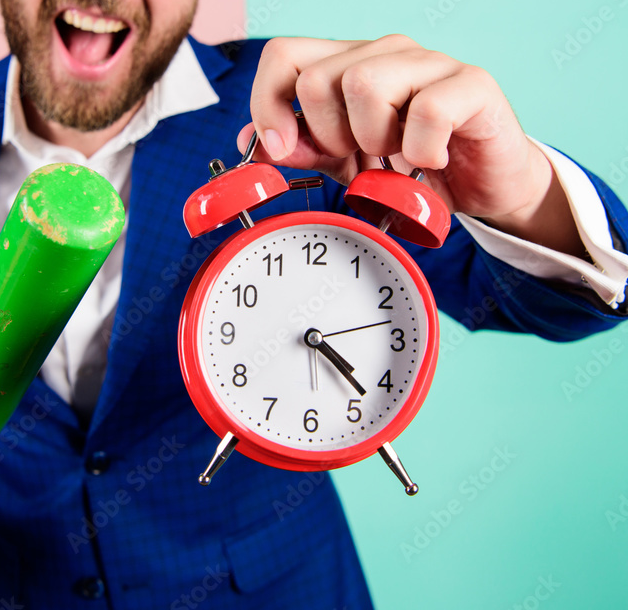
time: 4:22
